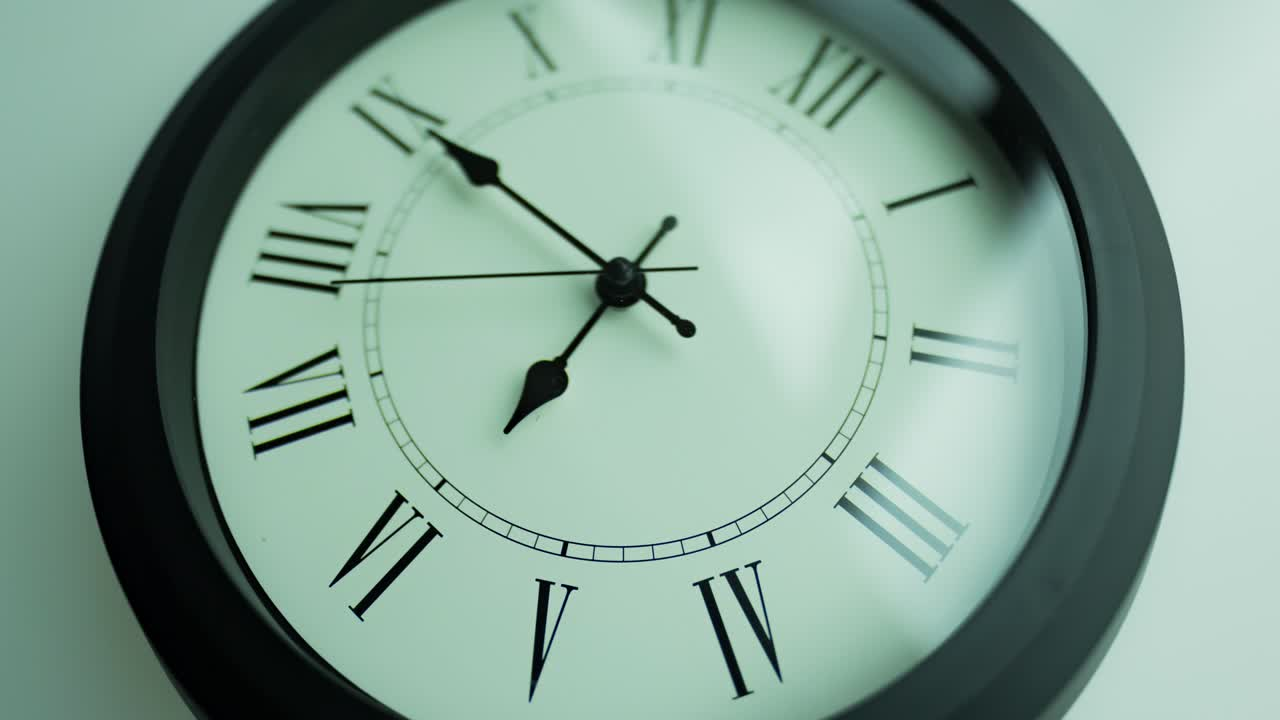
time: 6:50
